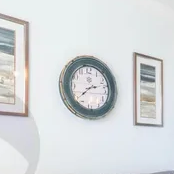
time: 2:37
